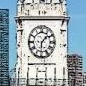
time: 1:30
